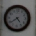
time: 4:38
